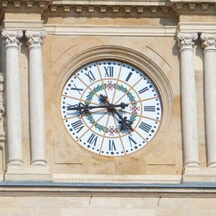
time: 4:44
